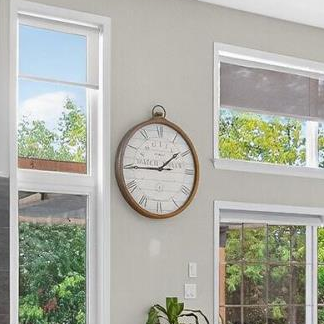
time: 1:45
